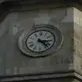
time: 3:22
